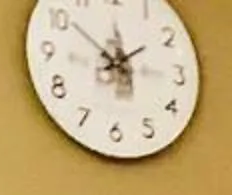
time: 12:09
